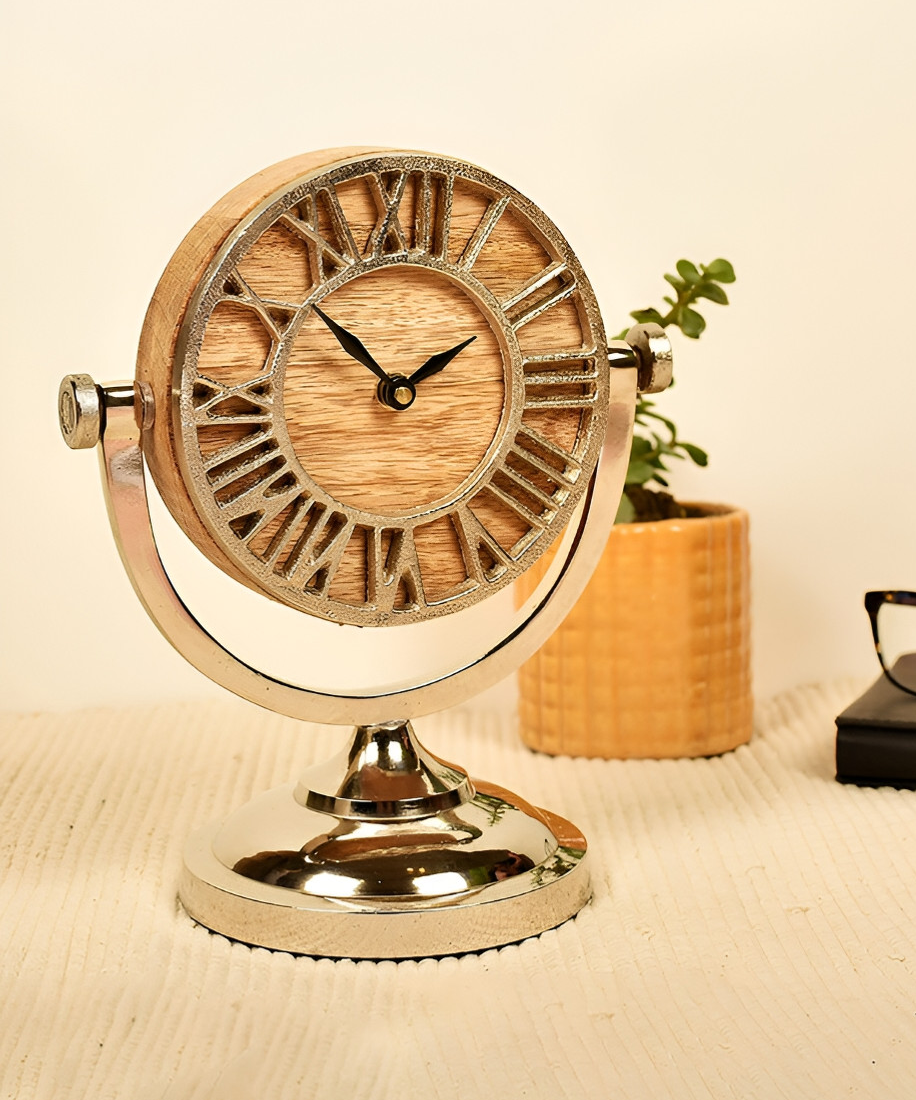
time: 1:52
